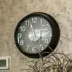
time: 4:57
